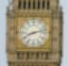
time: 8:12
